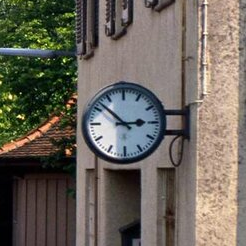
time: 2:52
